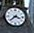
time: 3:38
